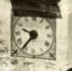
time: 9:36
